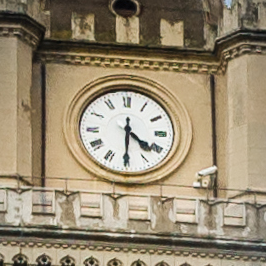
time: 4:30
